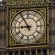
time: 8:54
